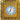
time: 7:03
